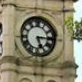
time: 5:15
